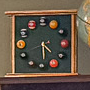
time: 4:29
